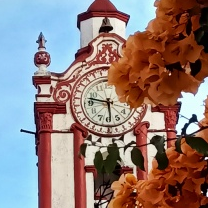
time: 5:47
